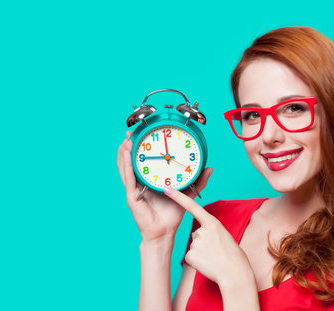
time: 8:59
